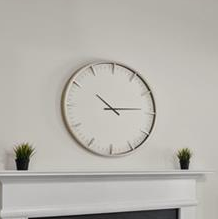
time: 10:13
